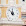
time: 11:52
